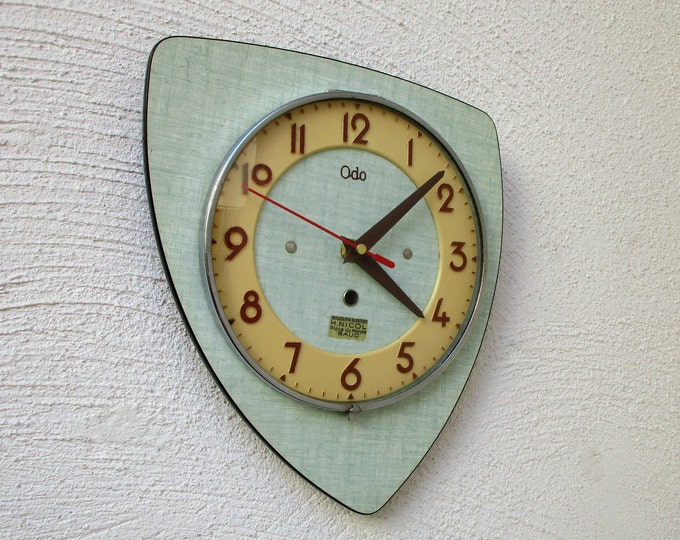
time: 4:08
